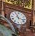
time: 11:17
